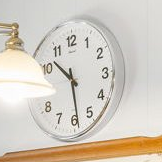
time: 10:28
